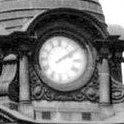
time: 2:09
